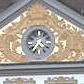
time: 4:35
